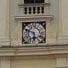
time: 5:48
